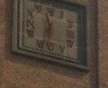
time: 11:32
